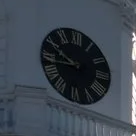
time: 9:43
